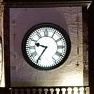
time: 9:35
